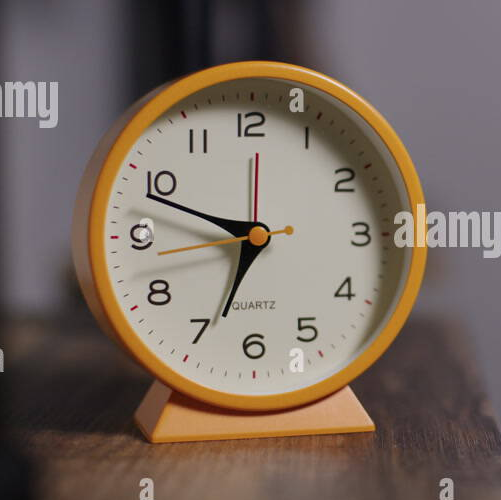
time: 6:48
